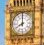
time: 7:59
